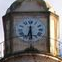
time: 6:28
